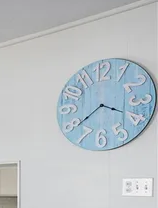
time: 3:39
